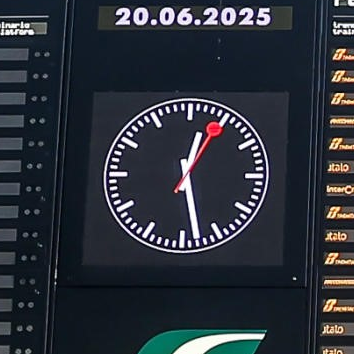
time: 12:28
